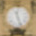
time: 12:26
